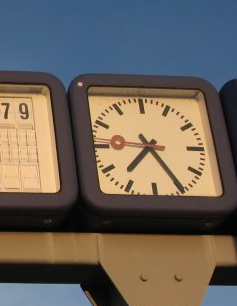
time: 7:24
